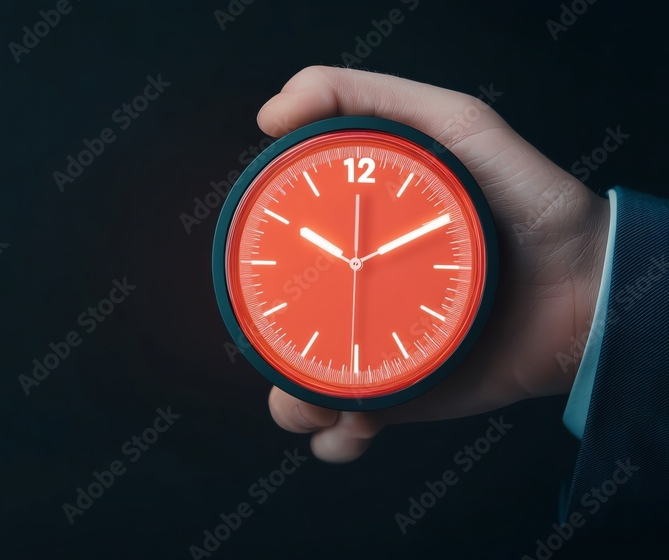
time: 10:10
